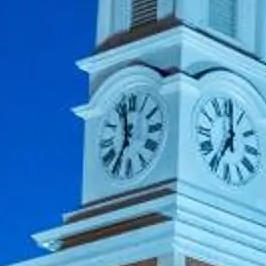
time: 11:35
